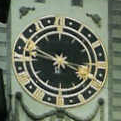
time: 3:48
